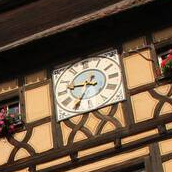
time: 9:35
